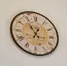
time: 12:54
